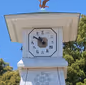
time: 10:50
